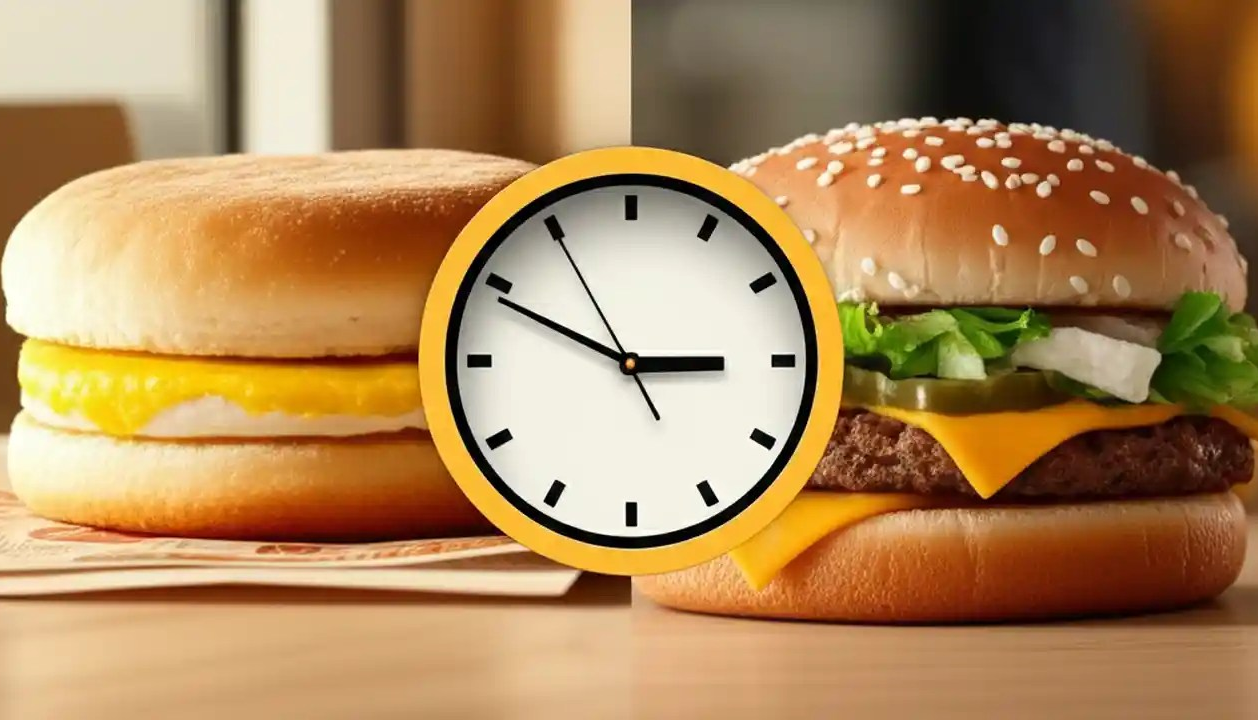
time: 2:49
